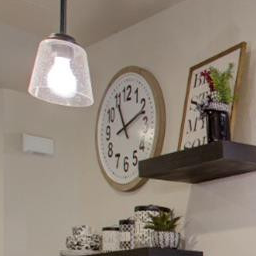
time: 11:11
